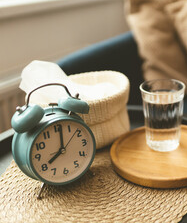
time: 8:01
